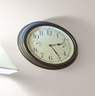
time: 2:24
